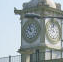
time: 9:57
